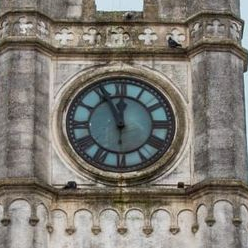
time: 11:55
